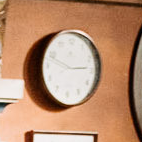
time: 2:48
